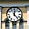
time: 12:23
